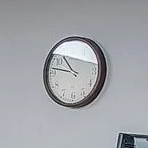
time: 10:46
